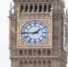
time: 1:44
